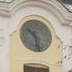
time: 10:28
